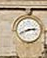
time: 2:41
